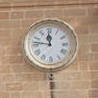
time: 11:46
